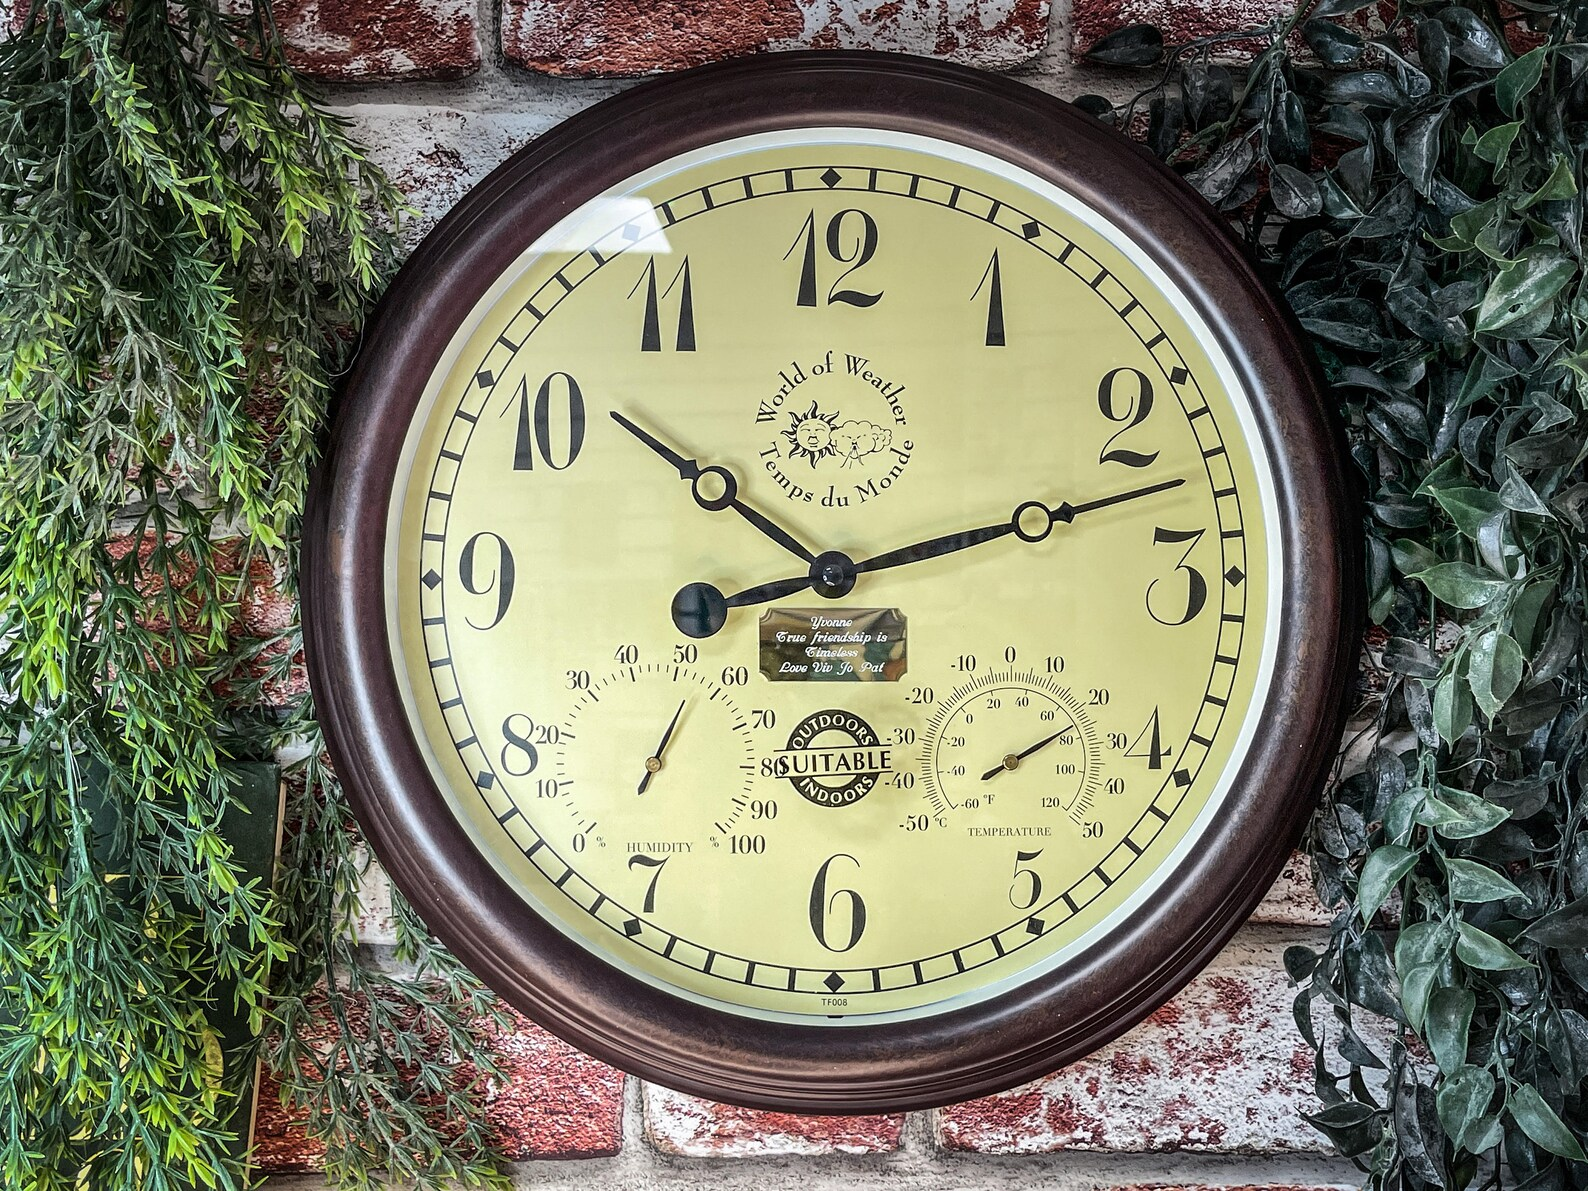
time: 10:12
